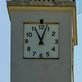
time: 11:03
